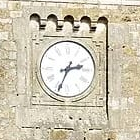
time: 2:34
